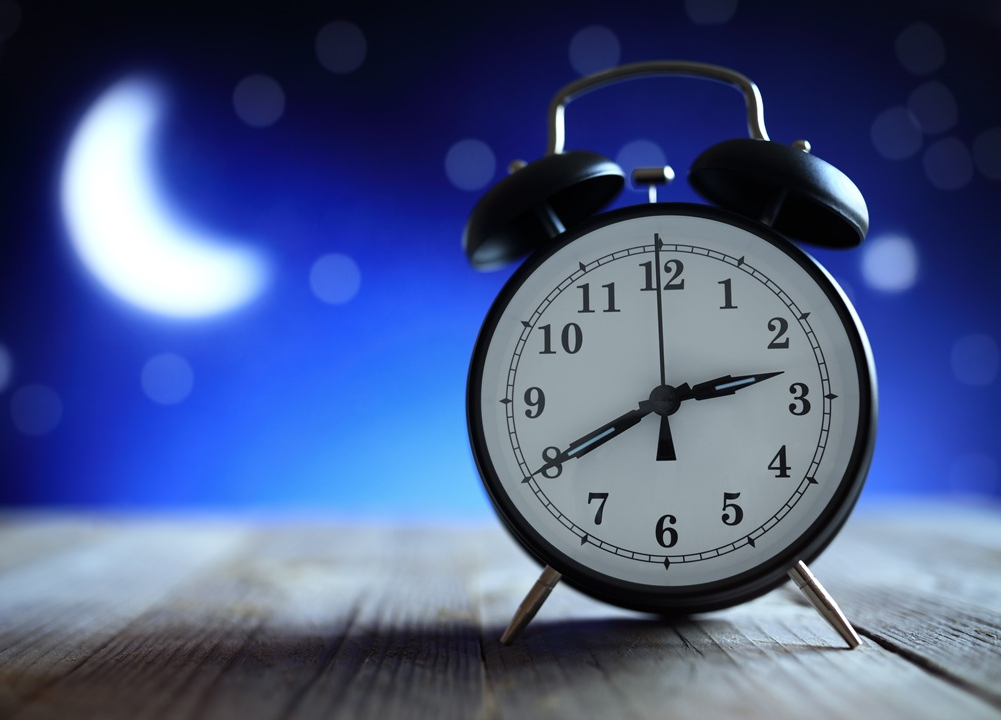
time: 2:40
